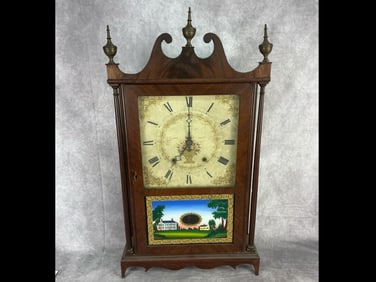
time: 7:00
